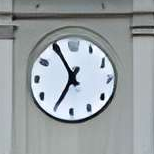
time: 6:55
